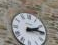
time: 2:14
